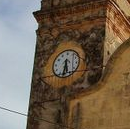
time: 5:31
